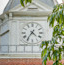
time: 4:35
